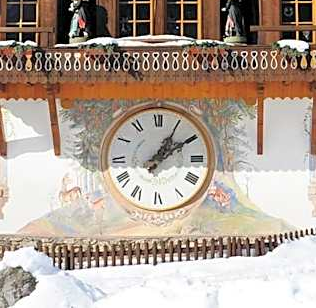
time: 1:09
